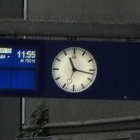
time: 11:16
